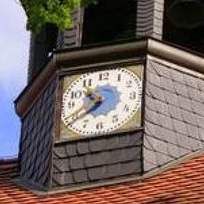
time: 10:39
